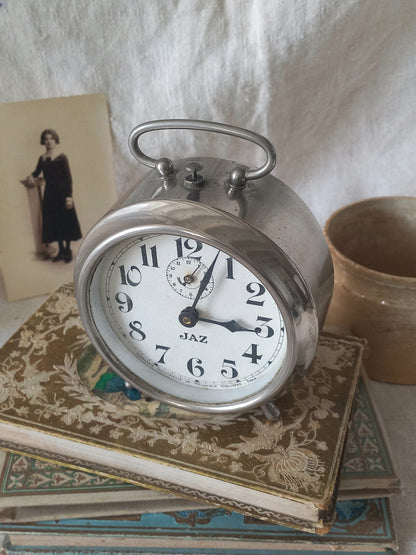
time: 3:03
